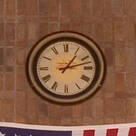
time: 1:12
